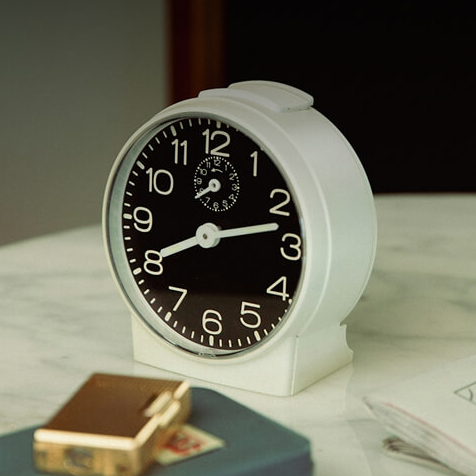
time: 8:12
